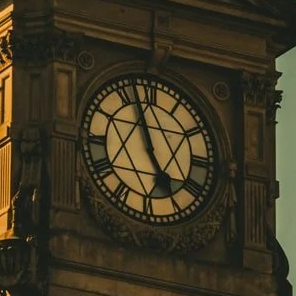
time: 4:56
